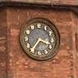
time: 3:36
